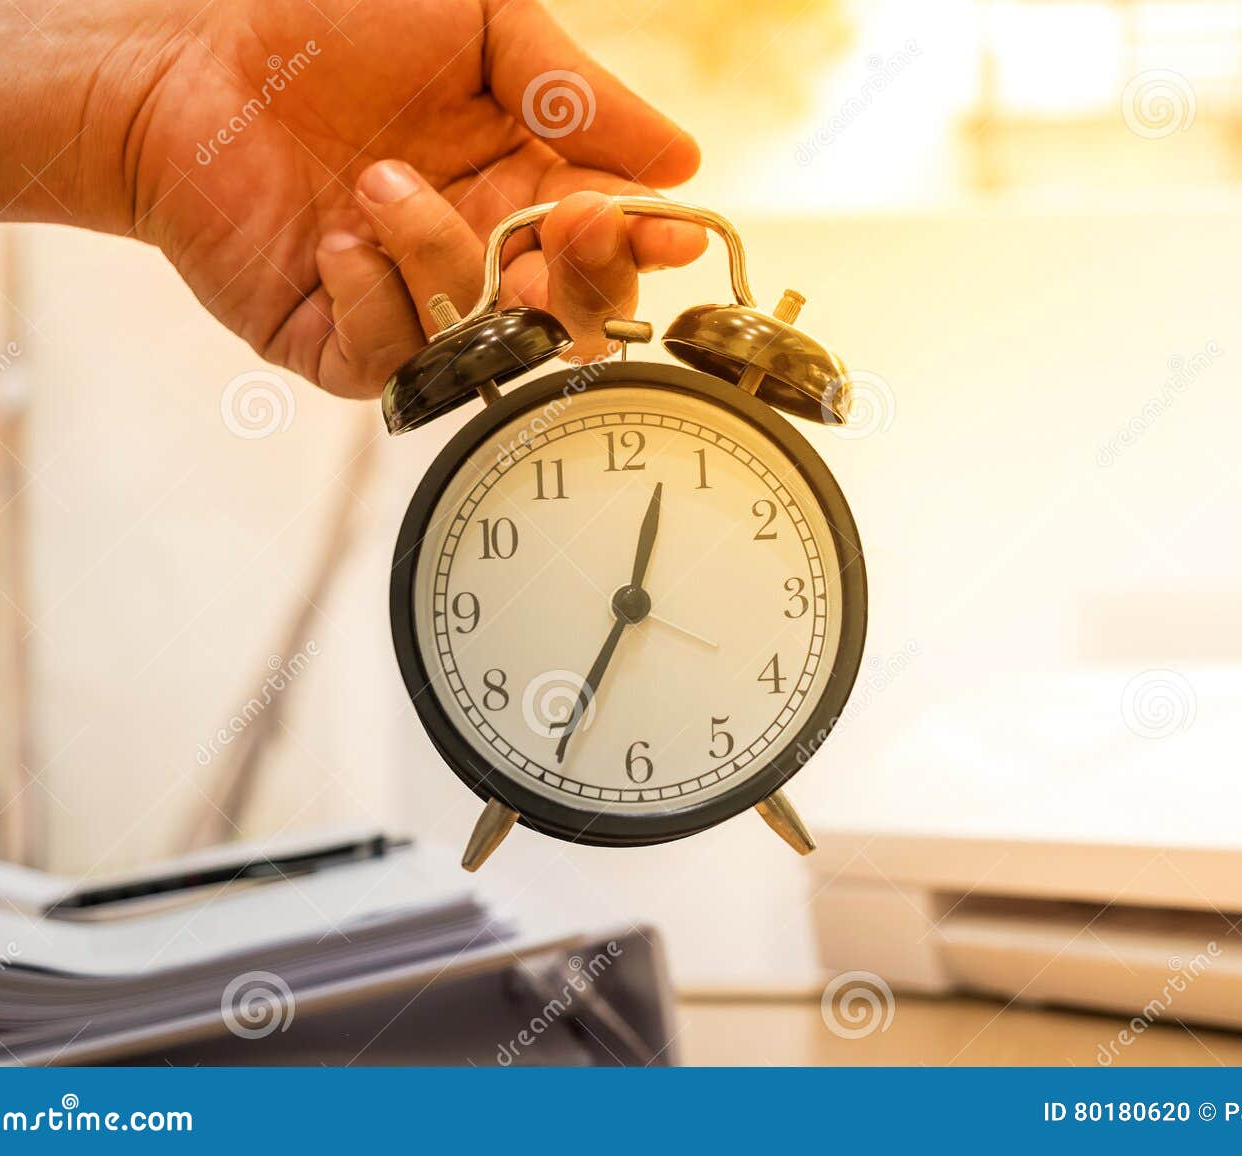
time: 12:34
